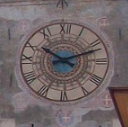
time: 10:11
